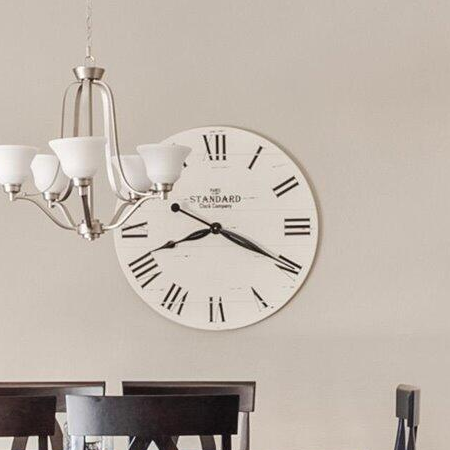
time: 8:19
